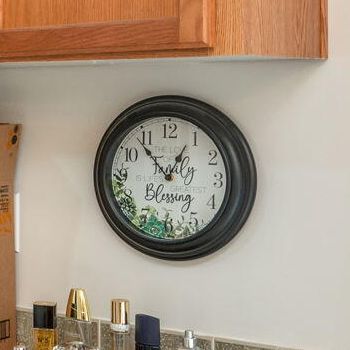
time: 12:53
